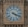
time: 4:18
